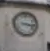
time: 3:16
